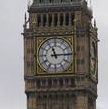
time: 11:14
